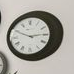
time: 2:49
